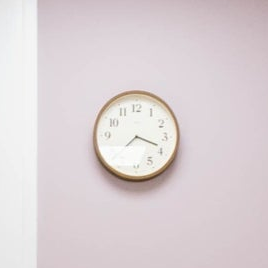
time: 7:18
